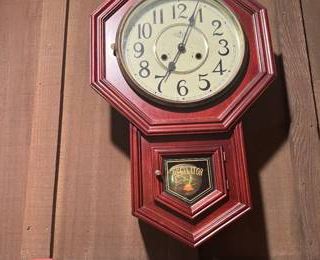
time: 7:03
